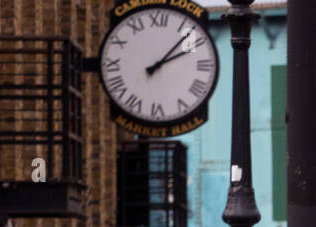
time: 2:07
